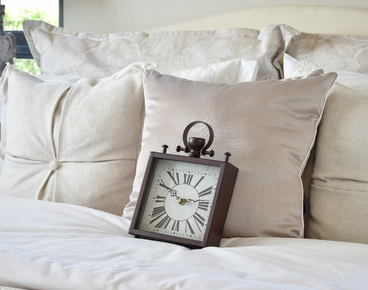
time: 2:49
